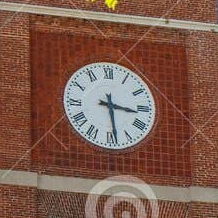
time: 3:28
